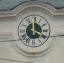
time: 4:00
